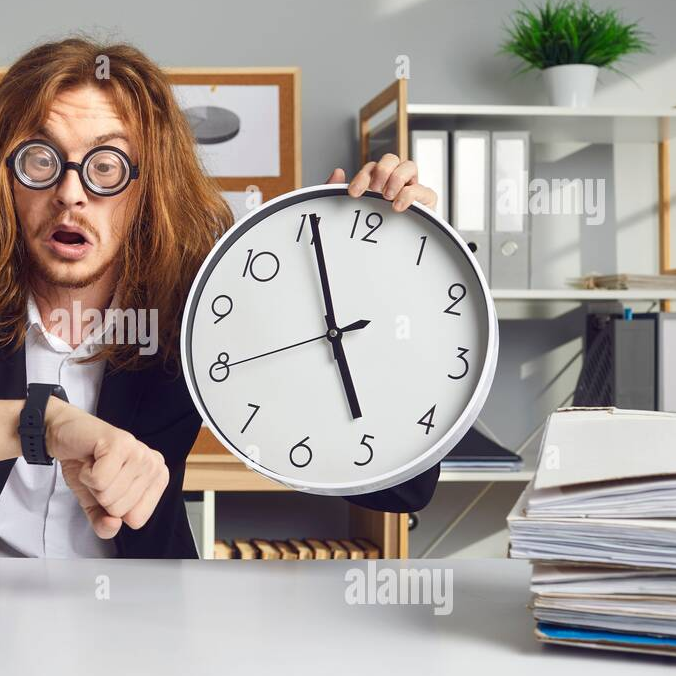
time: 4:55
